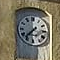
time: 7:37
